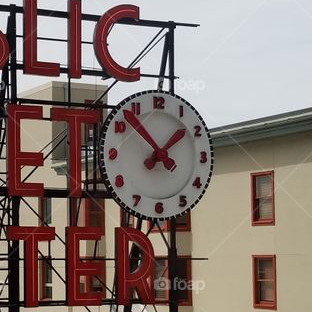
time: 1:52
